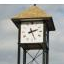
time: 2:26
